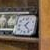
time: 1:23
